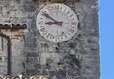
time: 8:49
